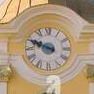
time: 9:48
